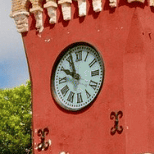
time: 9:57
